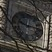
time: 9:14
